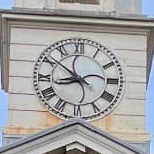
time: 8:51
